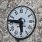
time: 5:46
